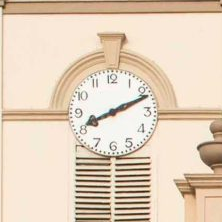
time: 8:11
